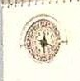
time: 3:29
